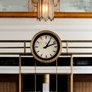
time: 1:11
